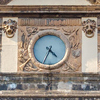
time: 4:34
